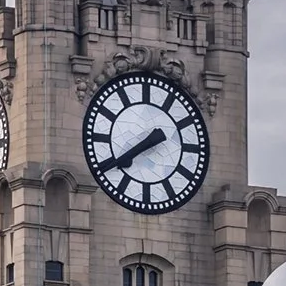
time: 7:39
